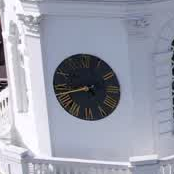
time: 4:42
